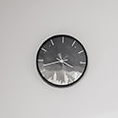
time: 3:42
